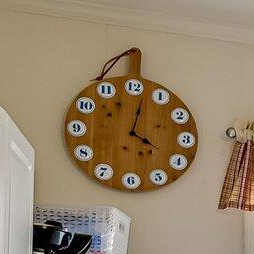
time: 4:02
